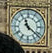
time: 11:21
